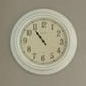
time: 10:53
